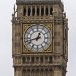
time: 12:42
